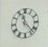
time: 11:22
